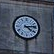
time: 4:13
